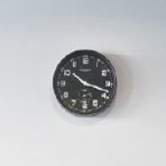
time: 10:18
